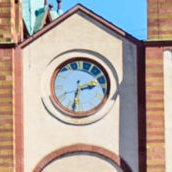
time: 2:32
